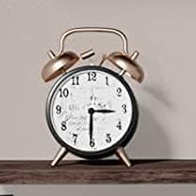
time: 3:30
